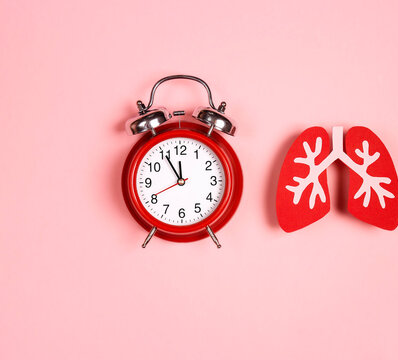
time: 11:55
